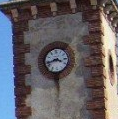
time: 3:42
